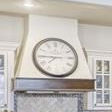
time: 7:45
